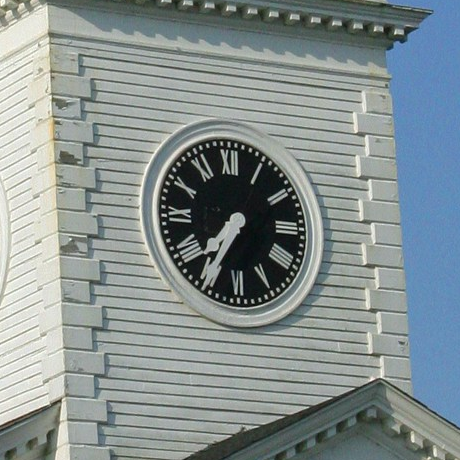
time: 7:35
